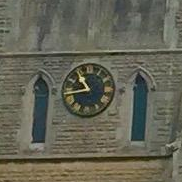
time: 10:44
